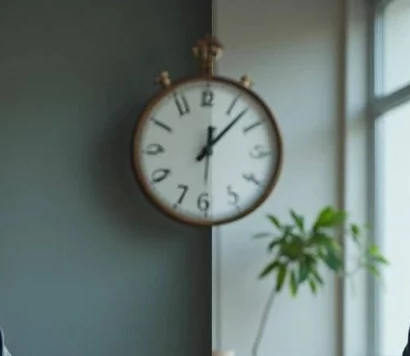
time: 12:07
